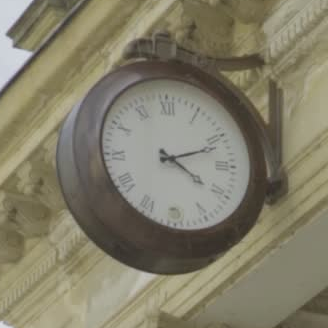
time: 4:11
